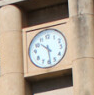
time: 10:28
